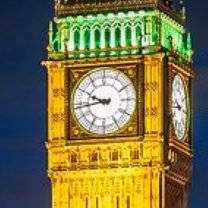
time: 9:43
